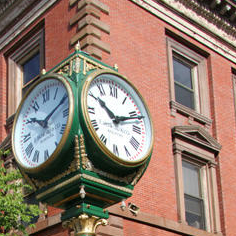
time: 10:11
